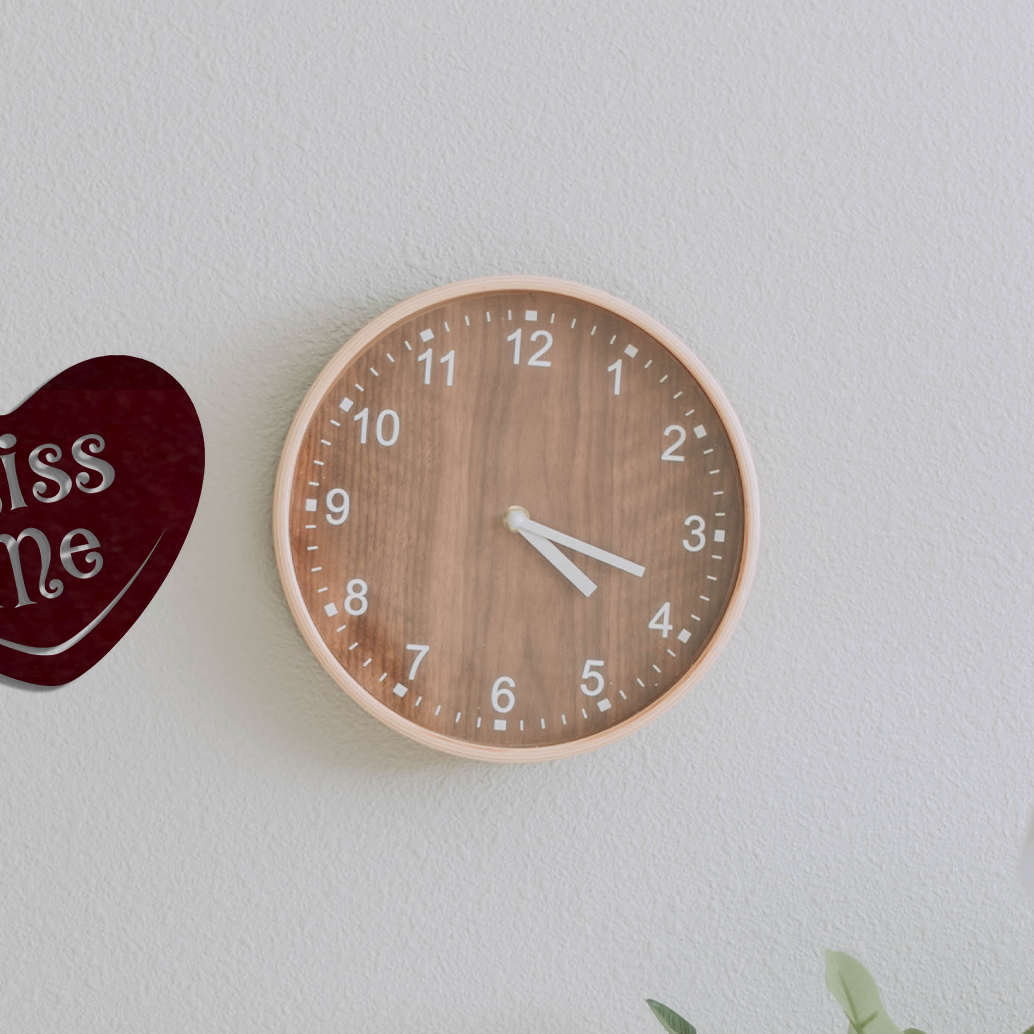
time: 4:18
